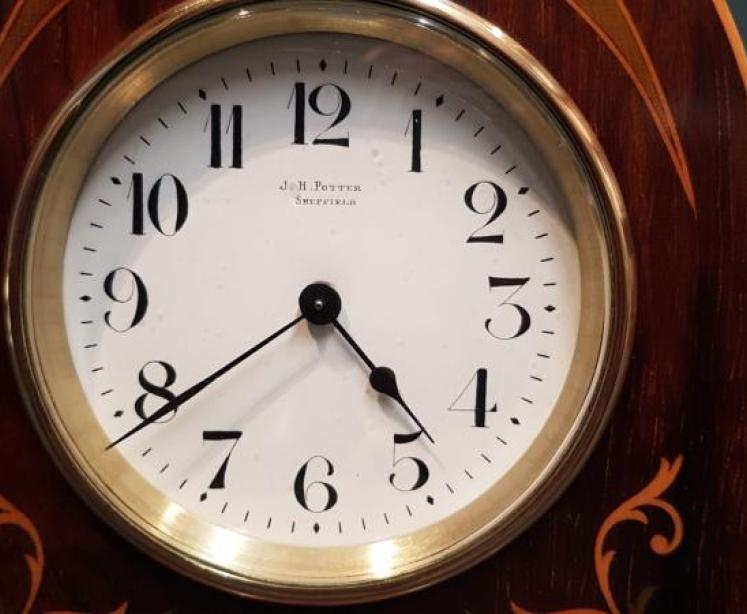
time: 4:39
